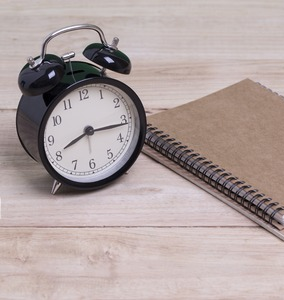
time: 8:16
